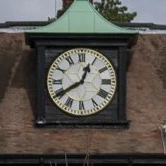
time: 12:40
